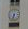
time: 6:32
